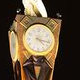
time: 4:16
